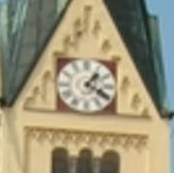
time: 1:20
